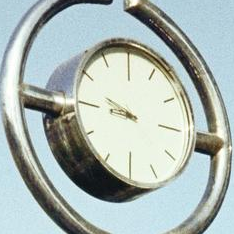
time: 9:45
